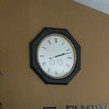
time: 2:11
